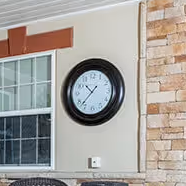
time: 10:37
